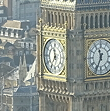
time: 11:35
